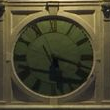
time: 5:18
